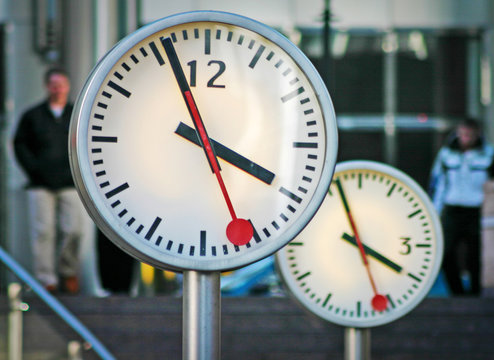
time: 3:56
